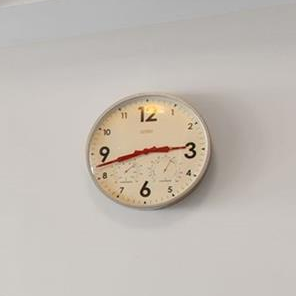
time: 2:42
